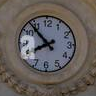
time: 7:53
